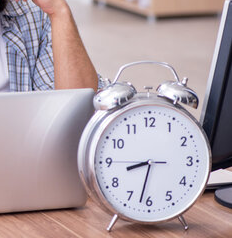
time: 8:32
